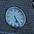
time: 5:24
